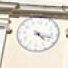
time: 4:17
